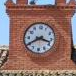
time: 3:40
